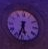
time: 5:33
